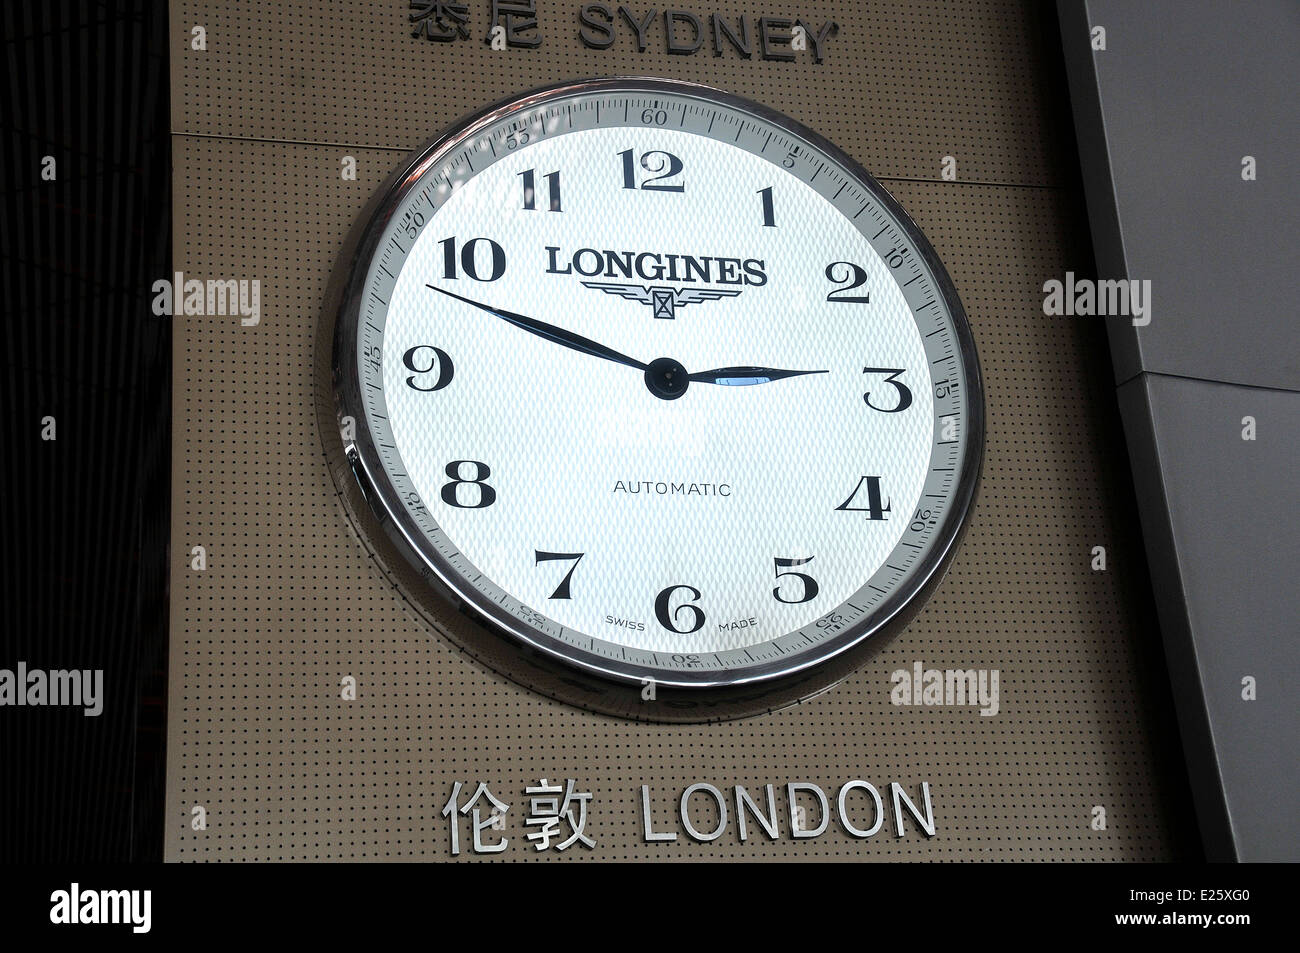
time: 2:48
